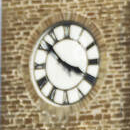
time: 3:52
